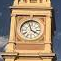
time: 3:57
